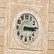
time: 3:14
